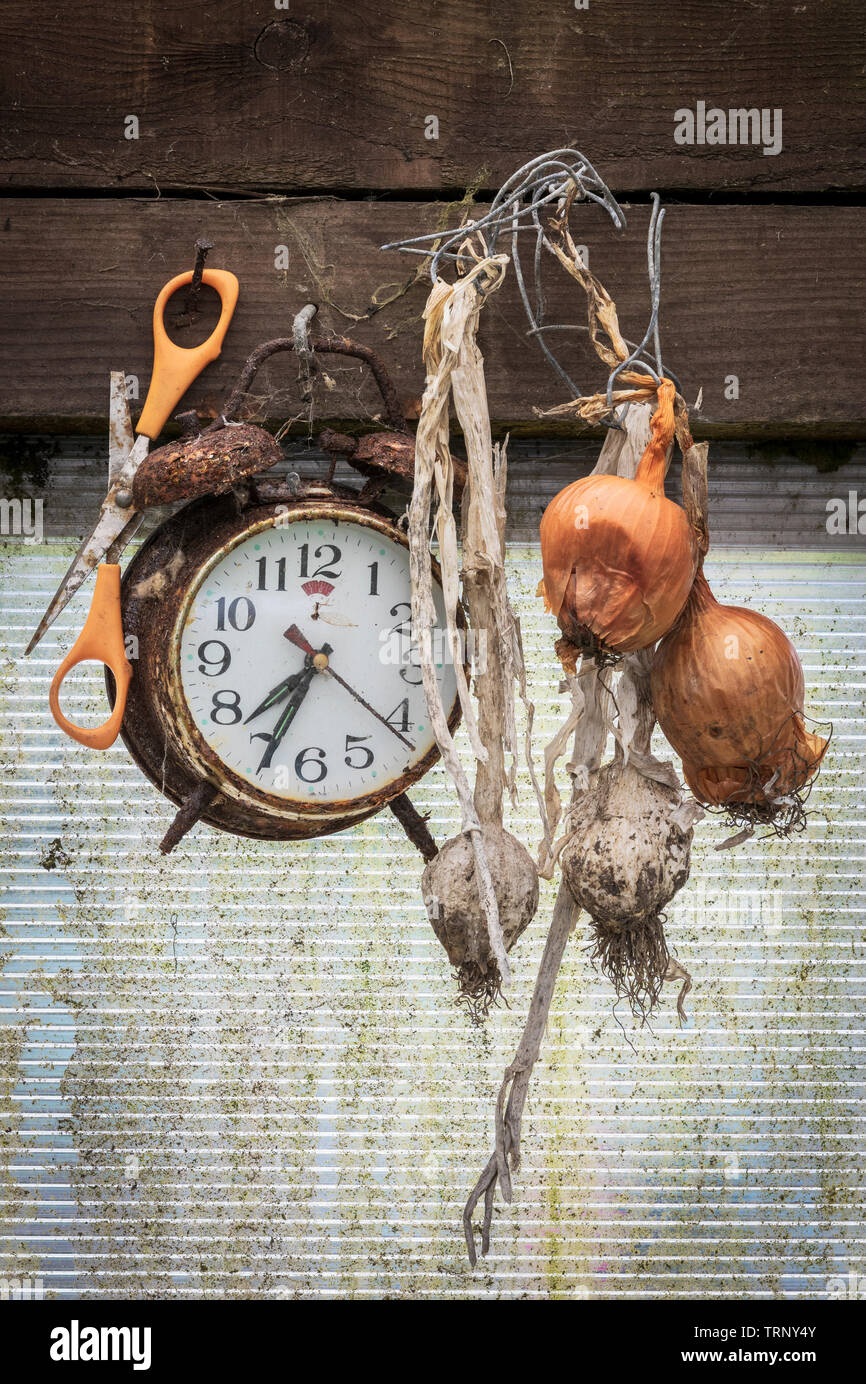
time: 7:34
